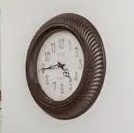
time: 4:44
